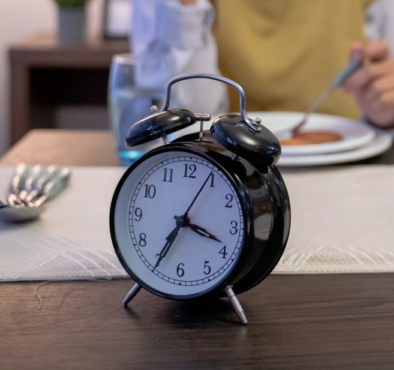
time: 3:34
